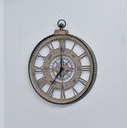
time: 7:00
